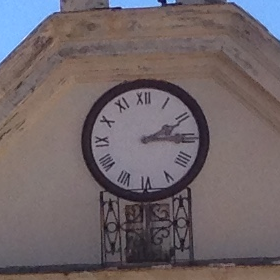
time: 2:15
